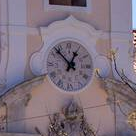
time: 12:52
